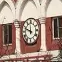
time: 11:48
